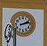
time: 2:12
